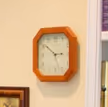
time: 2:51
